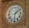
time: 6:08
